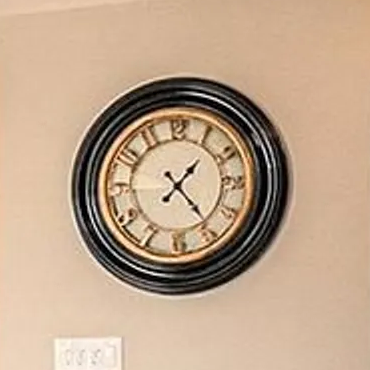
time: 1:23
